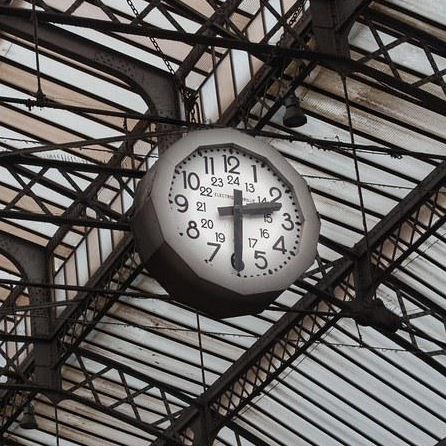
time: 2:29
